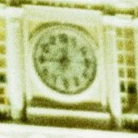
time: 9:01
